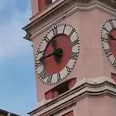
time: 11:46
